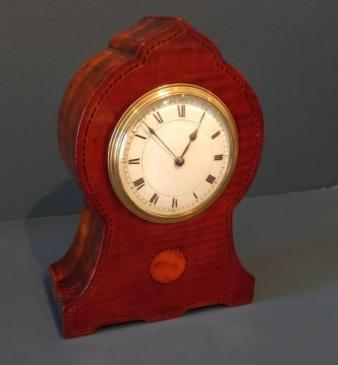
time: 12:52
